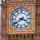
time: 3:39
